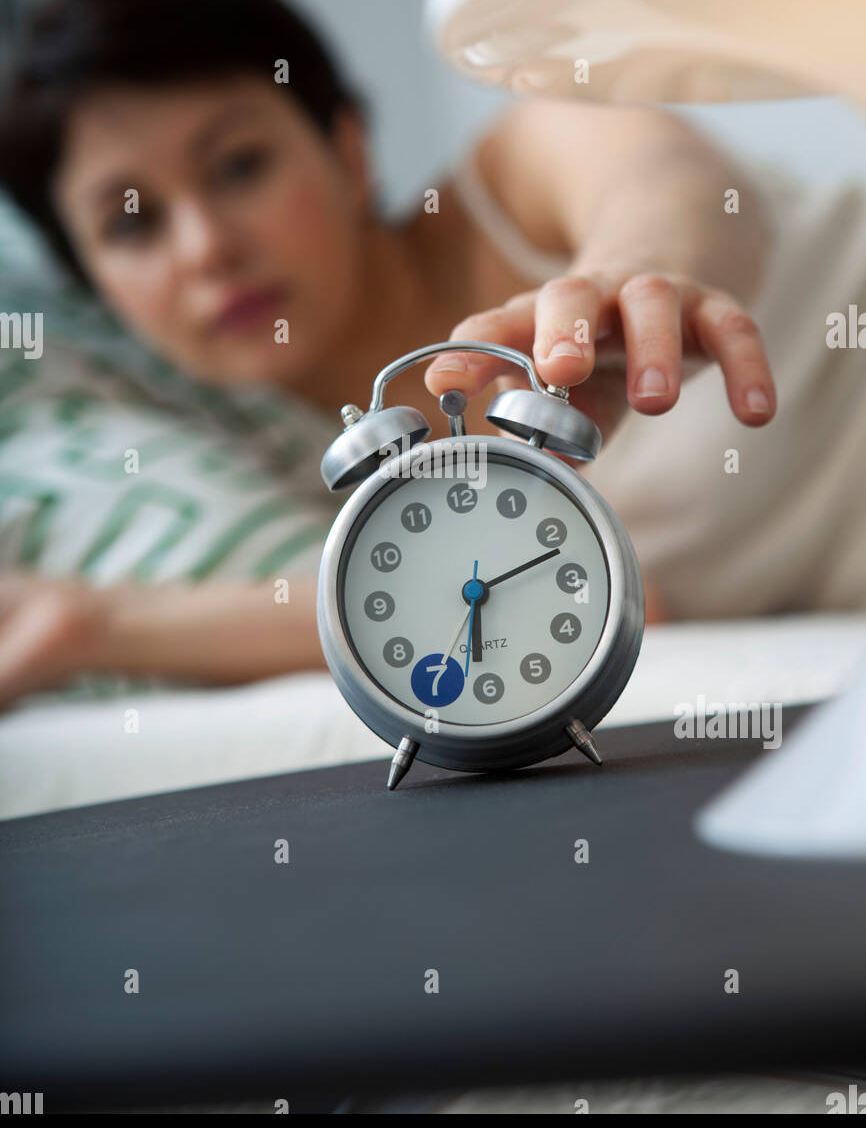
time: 6:11
